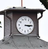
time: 3:14
